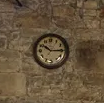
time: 10:14
